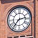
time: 2:36
